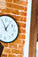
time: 12:55
